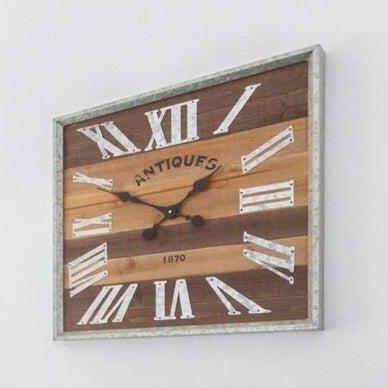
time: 1:50
